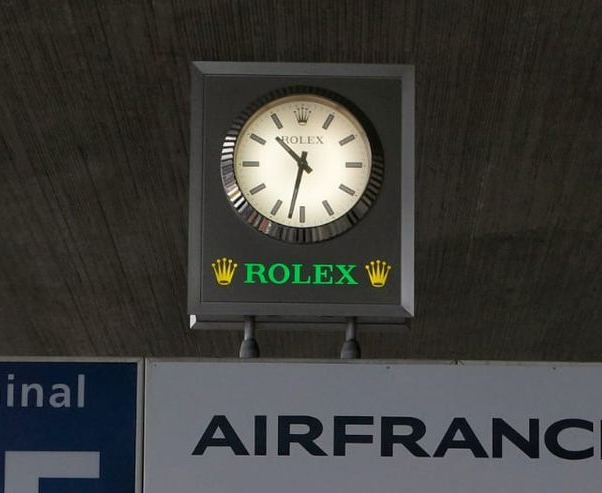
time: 10:32
